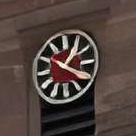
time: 1:20
